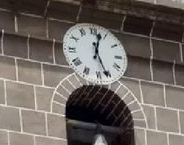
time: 12:26
